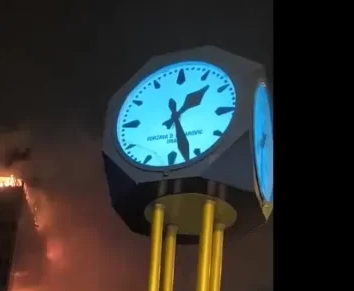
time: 1:27
